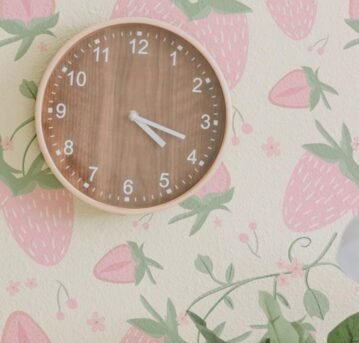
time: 4:18
